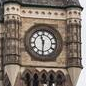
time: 11:31
